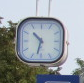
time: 10:32
